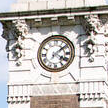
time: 4:08
